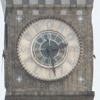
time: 2:28
